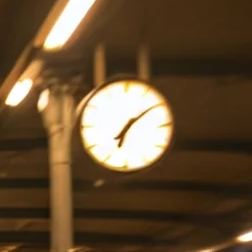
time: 7:09
